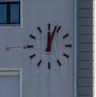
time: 12:03
